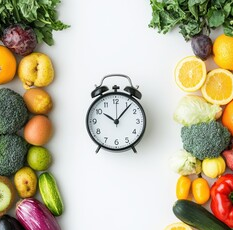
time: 10:06
